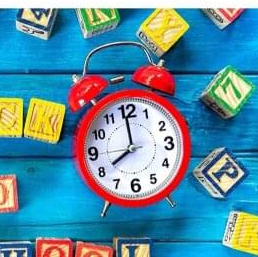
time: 7:59
